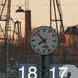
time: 7:52
